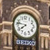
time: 7:46
